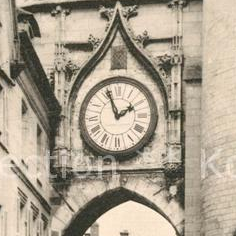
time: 1:56
